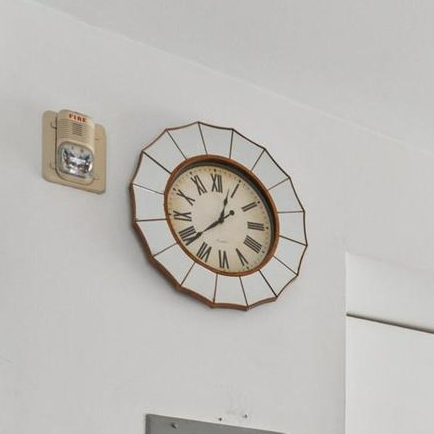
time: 12:38
